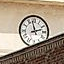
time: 2:57
